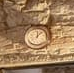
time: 12:07
